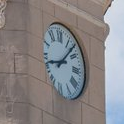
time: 8:07
